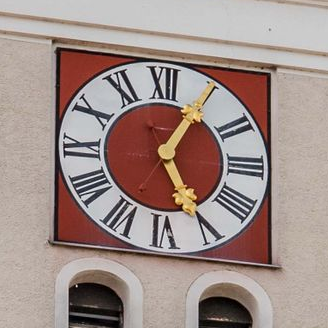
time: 5:05
